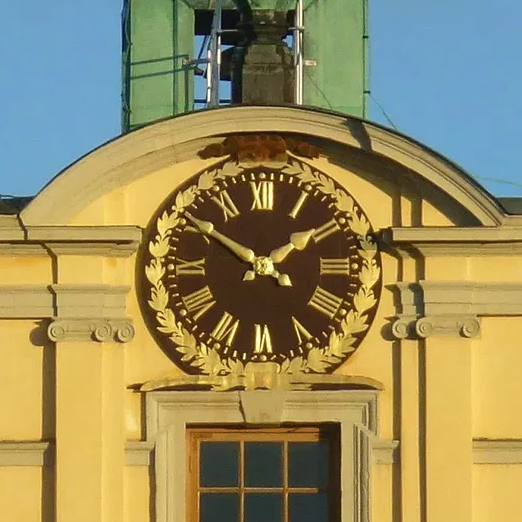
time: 1:50
